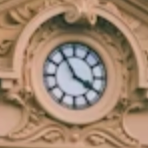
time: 3:54
